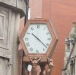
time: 10:21
